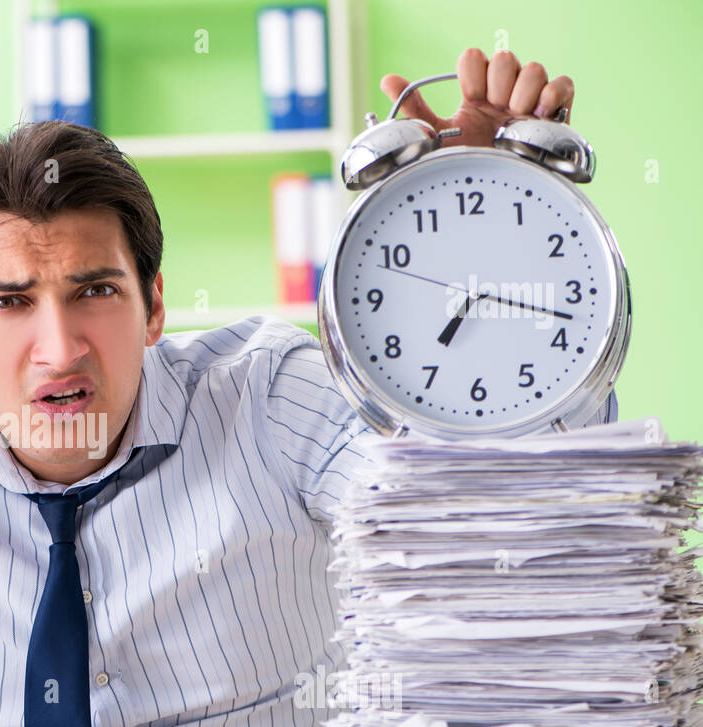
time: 7:17
